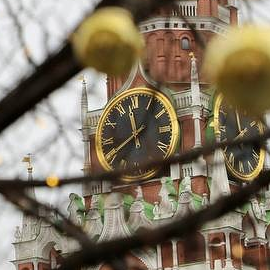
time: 11:40
